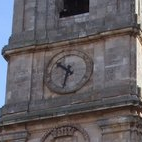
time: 10:32
